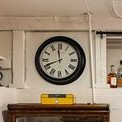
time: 11:41
